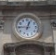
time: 12:45
